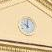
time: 10:00
